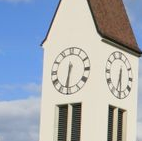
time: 6:31
